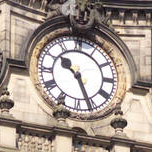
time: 10:26
